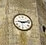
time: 9:12
